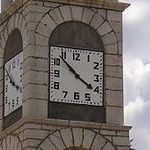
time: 3:52
